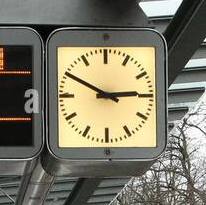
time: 2:49
